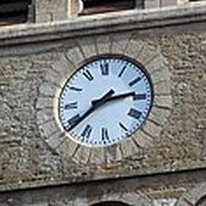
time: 2:38
